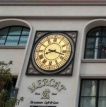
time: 8:17
